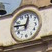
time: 12:46
